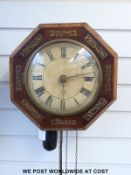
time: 2:29
